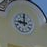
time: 8:59
